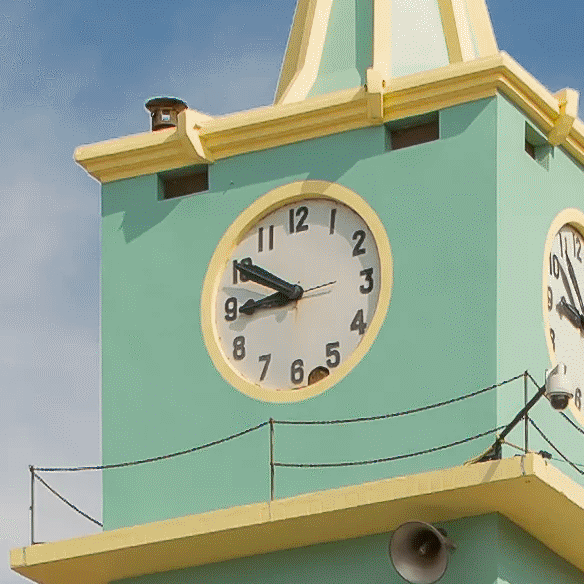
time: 8:50
